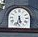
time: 5:32
